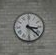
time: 3:22
